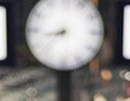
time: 8:37
